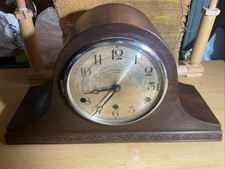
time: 8:35
